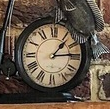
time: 1:14
